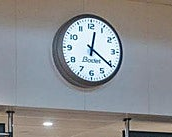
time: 12:20
